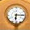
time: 6:15
